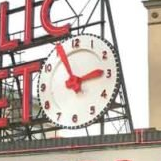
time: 2:56
